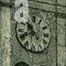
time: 10:41
